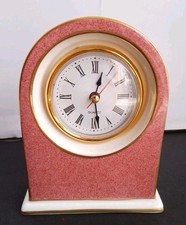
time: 12:28
